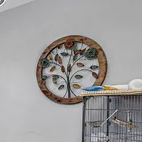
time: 12:28
